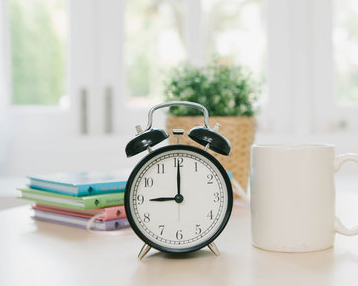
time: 9:00
